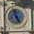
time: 4:57
